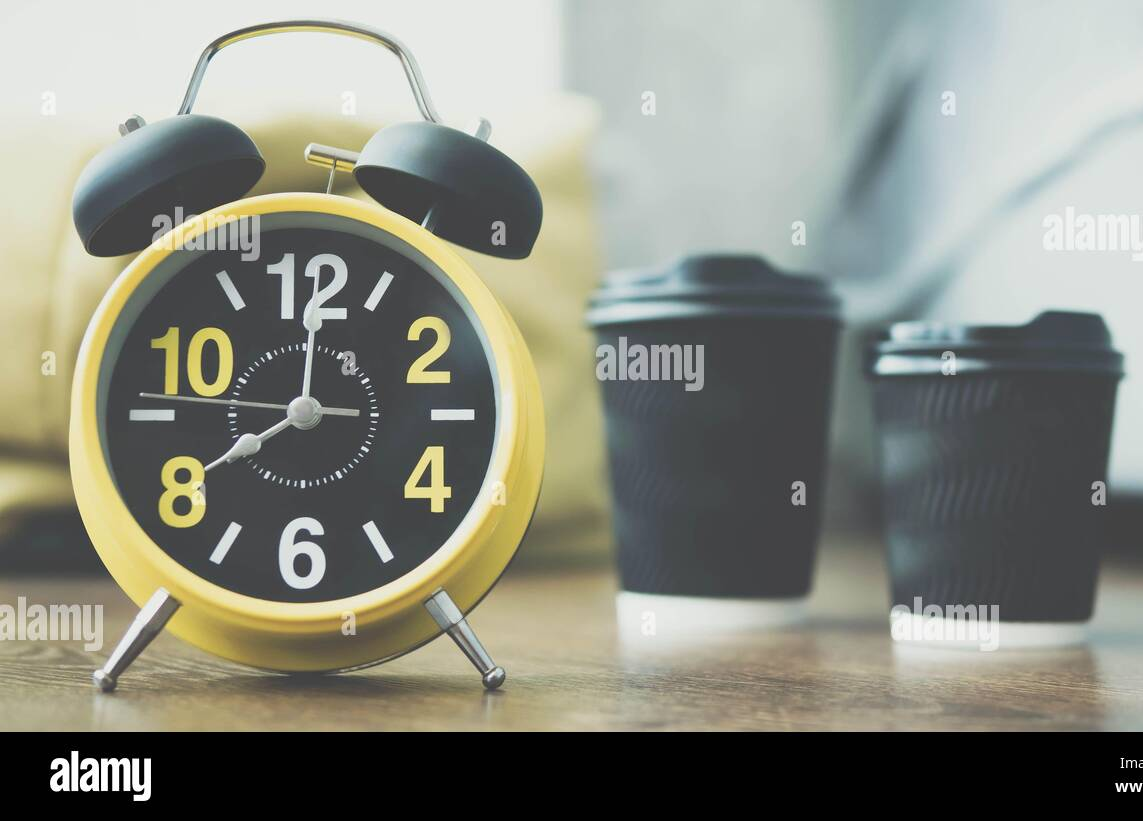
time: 8:00
